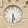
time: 5:31
